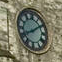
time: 8:09
